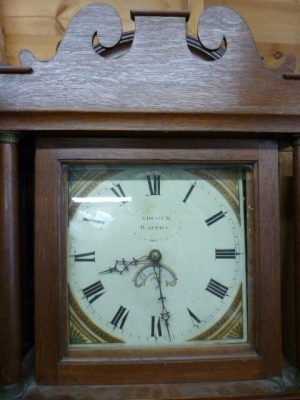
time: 8:28
